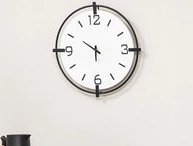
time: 5:50
